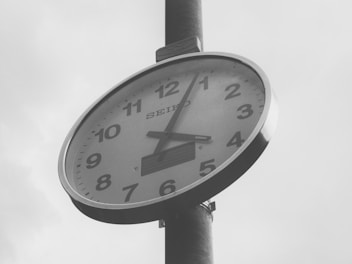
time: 4:03
